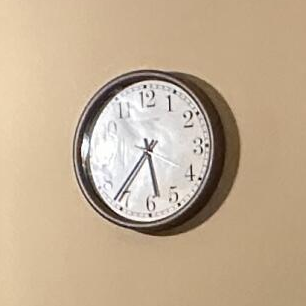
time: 5:36
